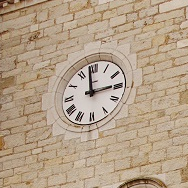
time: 2:58
